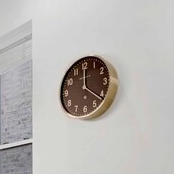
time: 12:21
